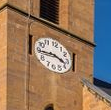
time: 3:44
